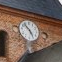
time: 4:52
